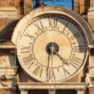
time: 4:31
